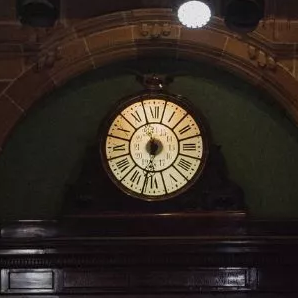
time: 11:32
